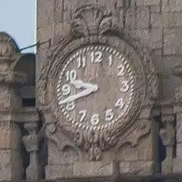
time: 9:42
